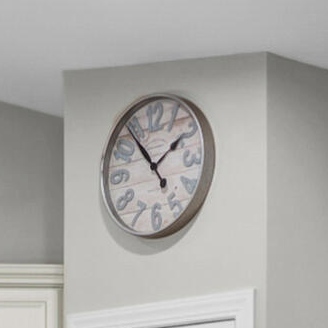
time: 1:53
